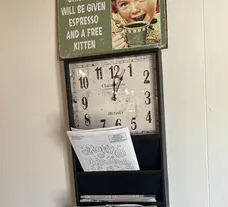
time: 12:03
